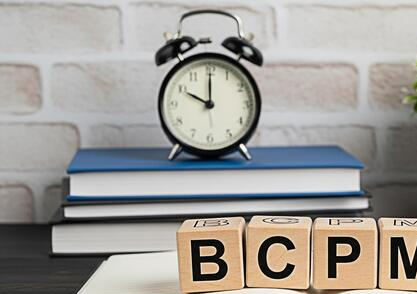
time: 10:00
